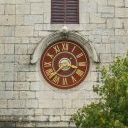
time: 3:37
